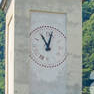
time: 11:02
